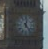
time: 5:01
